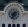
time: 1:33
